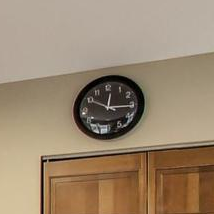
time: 12:15
